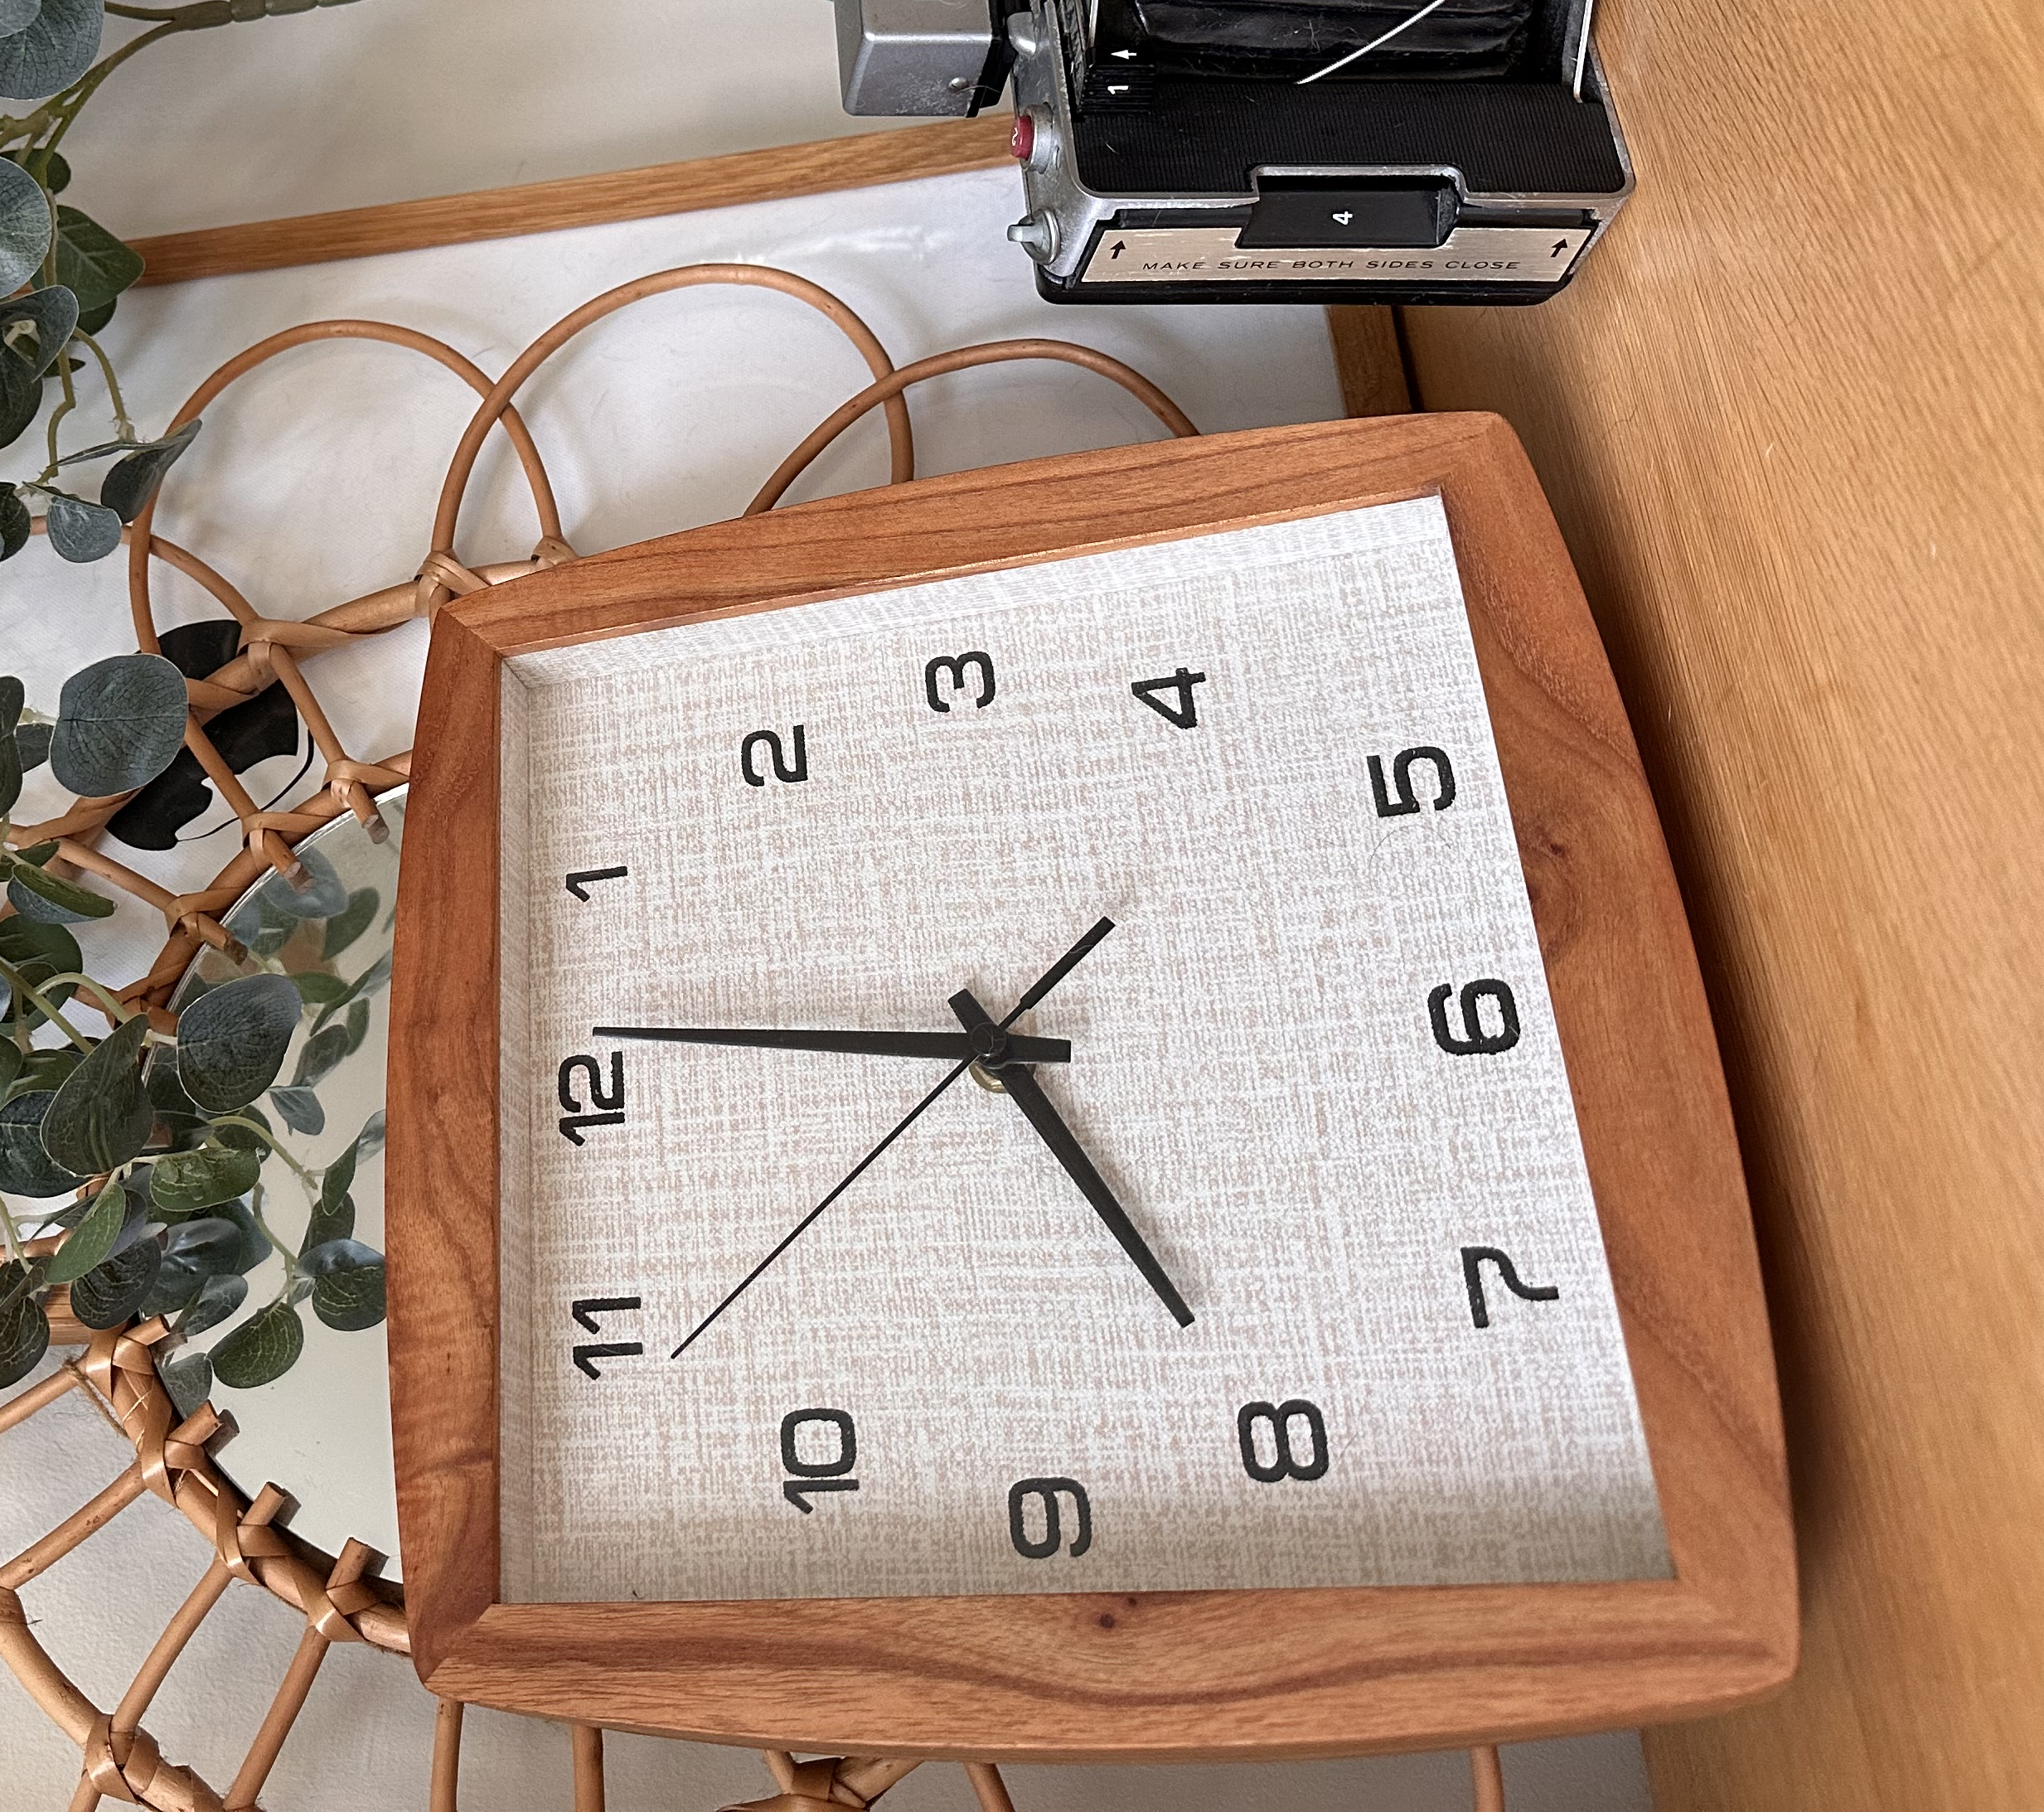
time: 4:46
